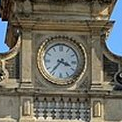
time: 3:36
